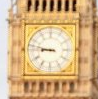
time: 8:47
